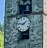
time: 1:46
